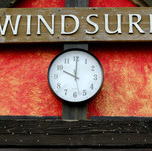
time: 10:00
